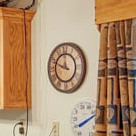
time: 11:48
